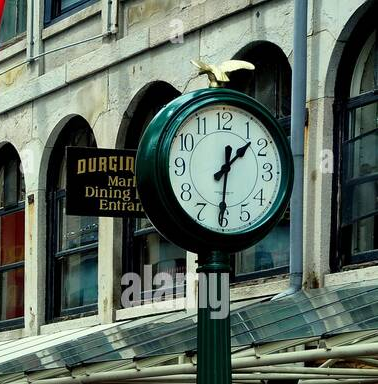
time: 1:30
